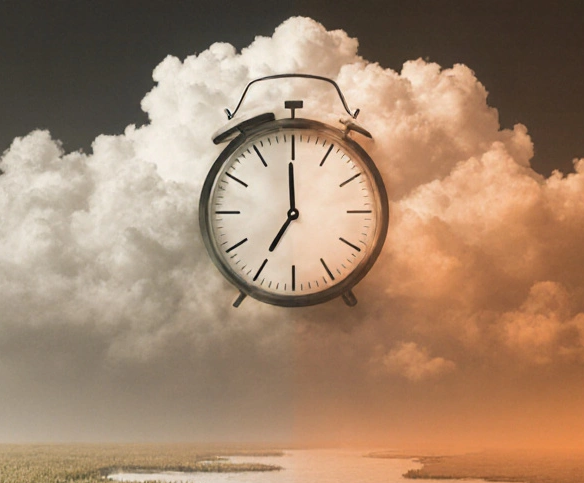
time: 6:59
